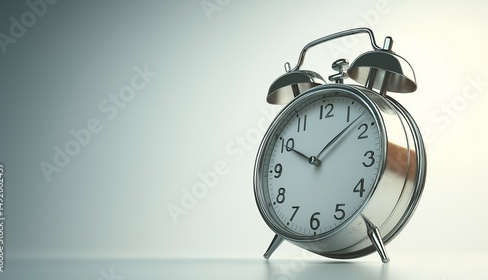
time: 10:07
